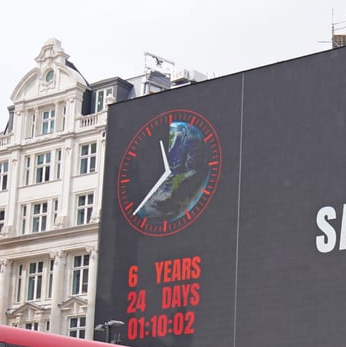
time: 11:37
